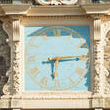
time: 6:14
